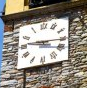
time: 9:15
